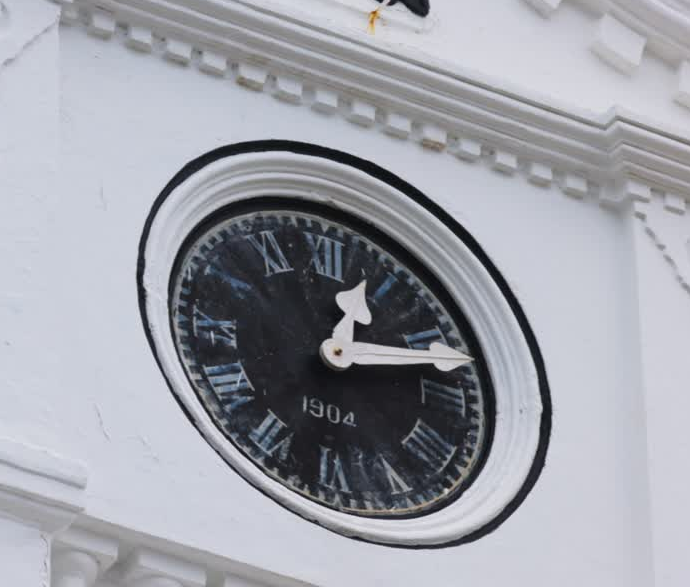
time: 1:12
